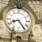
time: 8:24
